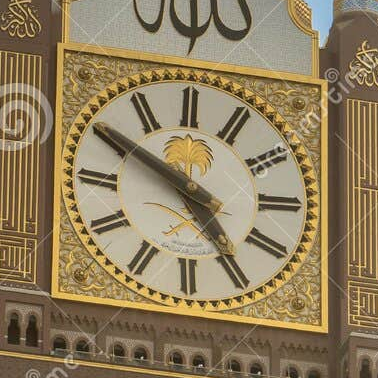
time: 4:50
